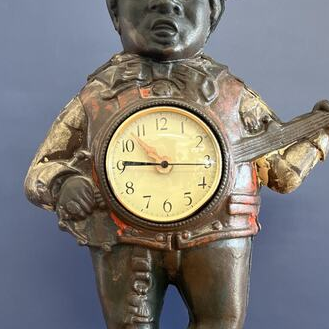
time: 9:15
